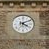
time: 4:10
